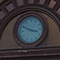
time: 3:49
